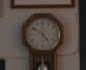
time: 4:50
